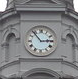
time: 2:53
